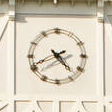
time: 4:40
